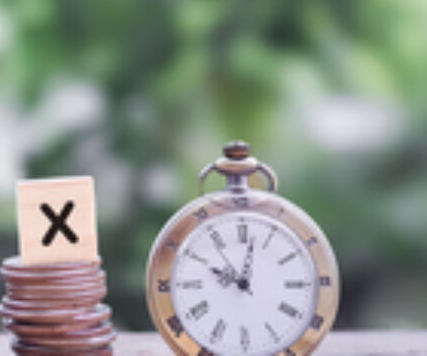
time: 10:01
